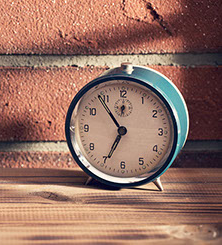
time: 6:54
